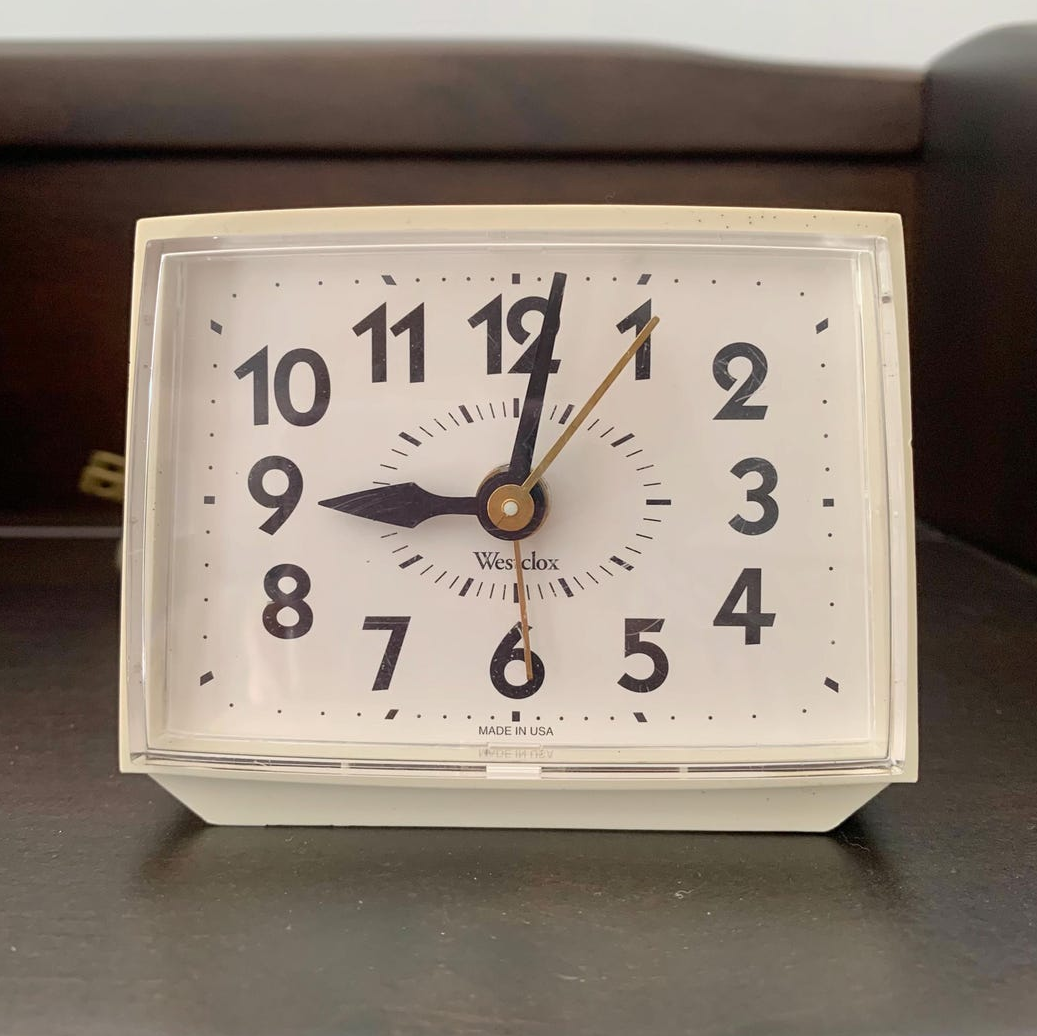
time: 9:01
